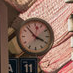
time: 3:53
